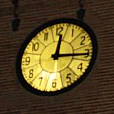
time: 12:15
